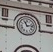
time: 11:13
